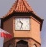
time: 10:32
